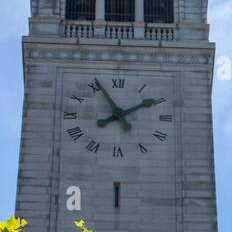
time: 1:55
